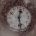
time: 12:27
